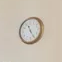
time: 11:25
